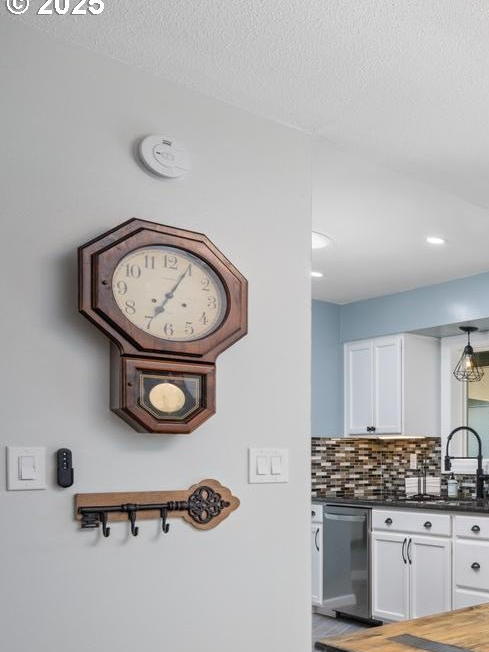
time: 7:04
